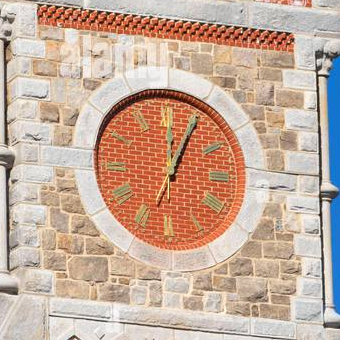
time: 12:04
